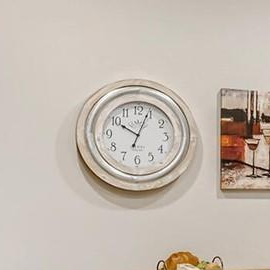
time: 10:03
